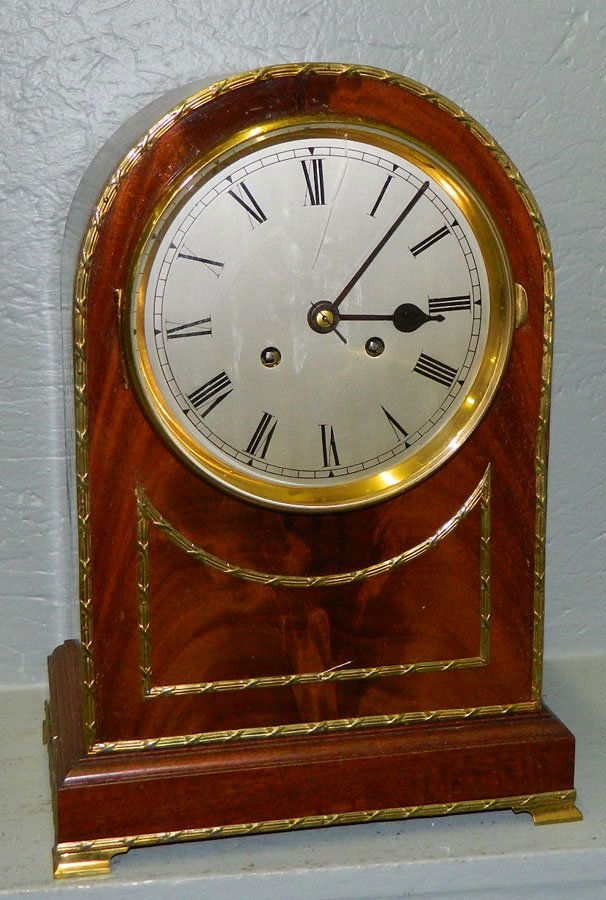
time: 3:07
